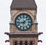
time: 1:43
